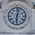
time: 6:02
